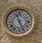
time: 11:25
